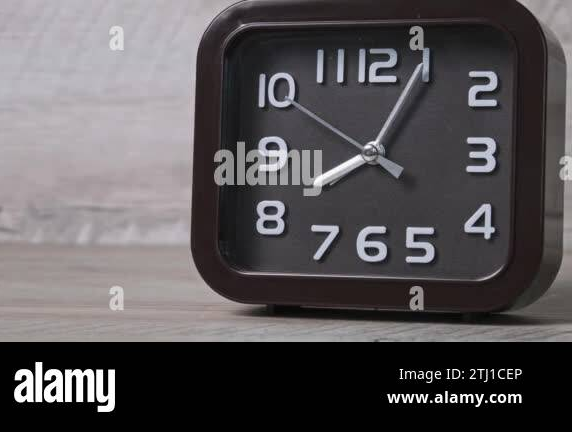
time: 8:05
